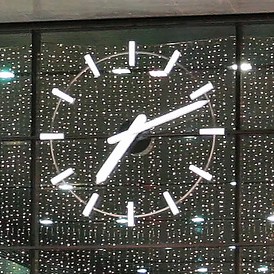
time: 7:11
